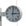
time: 3:01
